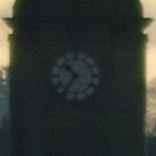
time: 10:36
